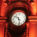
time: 10:28
